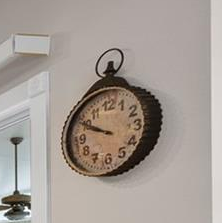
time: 9:50
